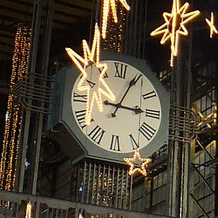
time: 3:04
